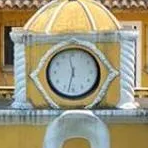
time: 11:32
